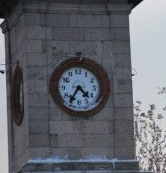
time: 4:35
